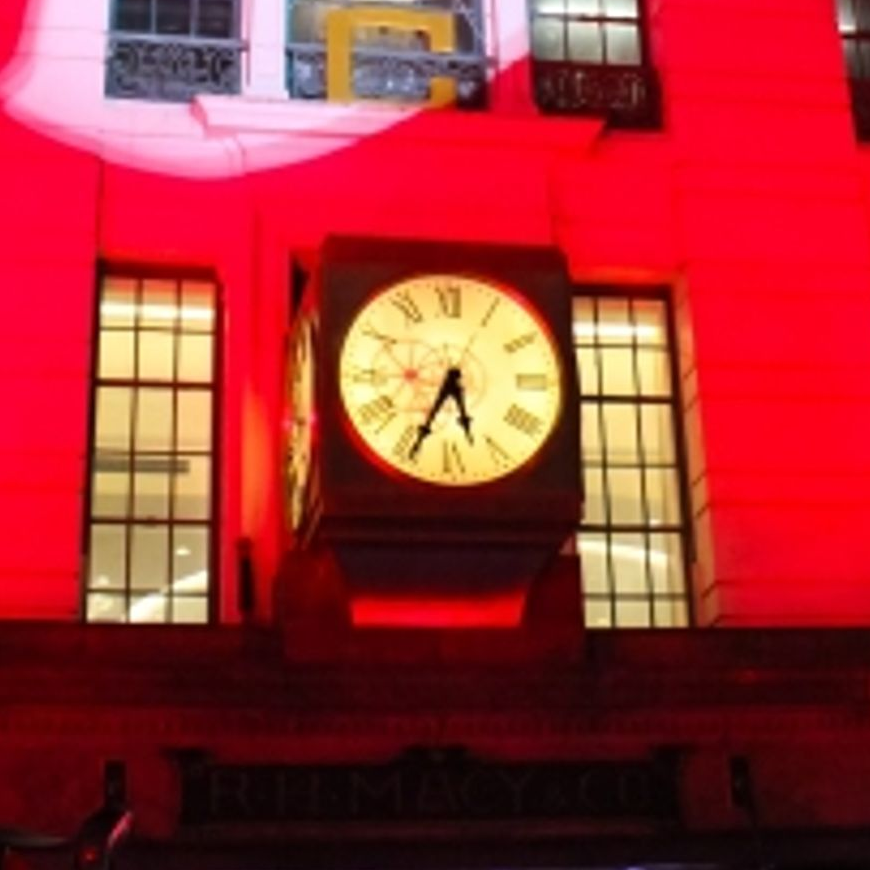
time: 5:34
